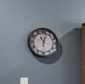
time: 11:02
